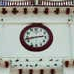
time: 2:42
